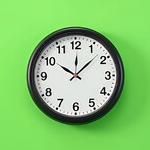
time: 10:07
